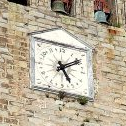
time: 5:09
